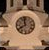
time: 7:58
